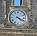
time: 4:18
